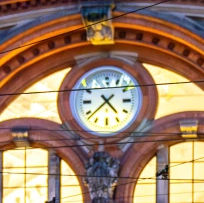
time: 4:37
